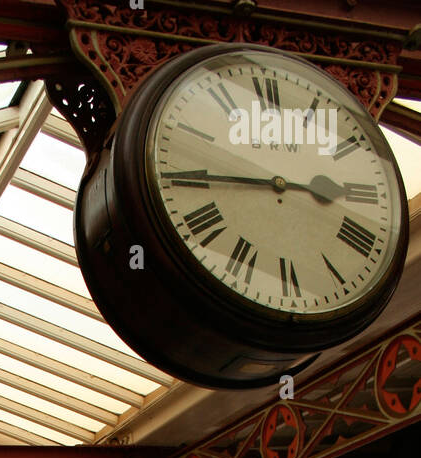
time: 2:44
